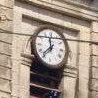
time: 11:37
